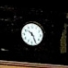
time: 10:25
